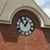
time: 12:53
